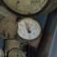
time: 4:57
